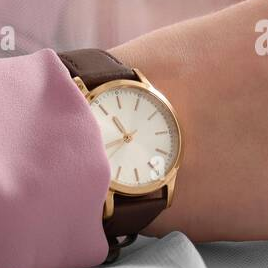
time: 10:42
